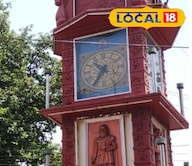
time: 10:35
